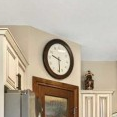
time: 9:28
